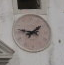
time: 1:46
